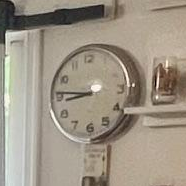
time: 8:46
